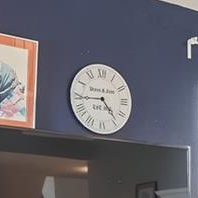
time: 4:44
